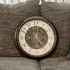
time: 12:24
